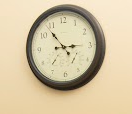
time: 2:53
